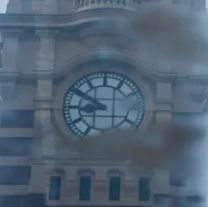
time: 8:50
